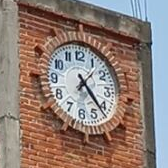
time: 1:22
